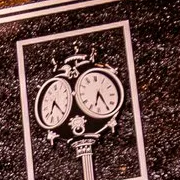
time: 6:24
